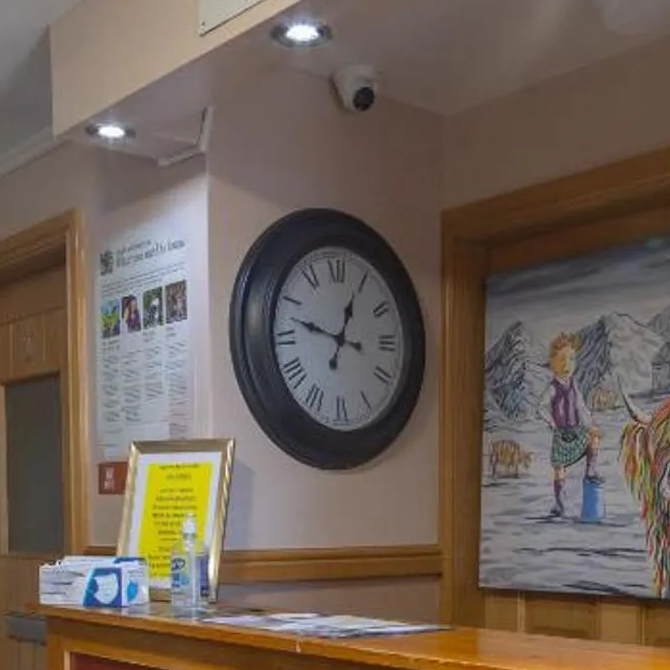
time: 12:47
